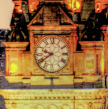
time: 9:39
